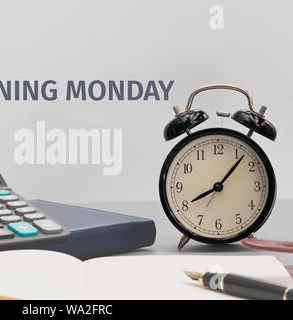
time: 8:07
